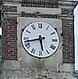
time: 5:42
